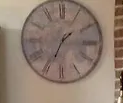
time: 1:34
